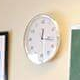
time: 12:16
